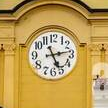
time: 5:13
